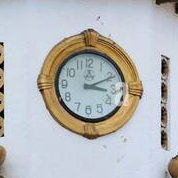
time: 3:10
